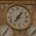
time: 7:06
